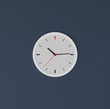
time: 10:14
